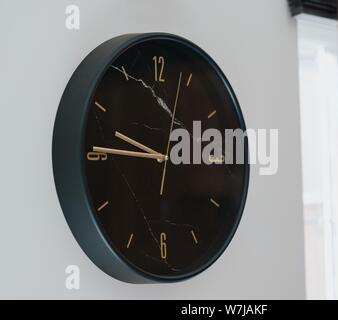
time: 9:45
